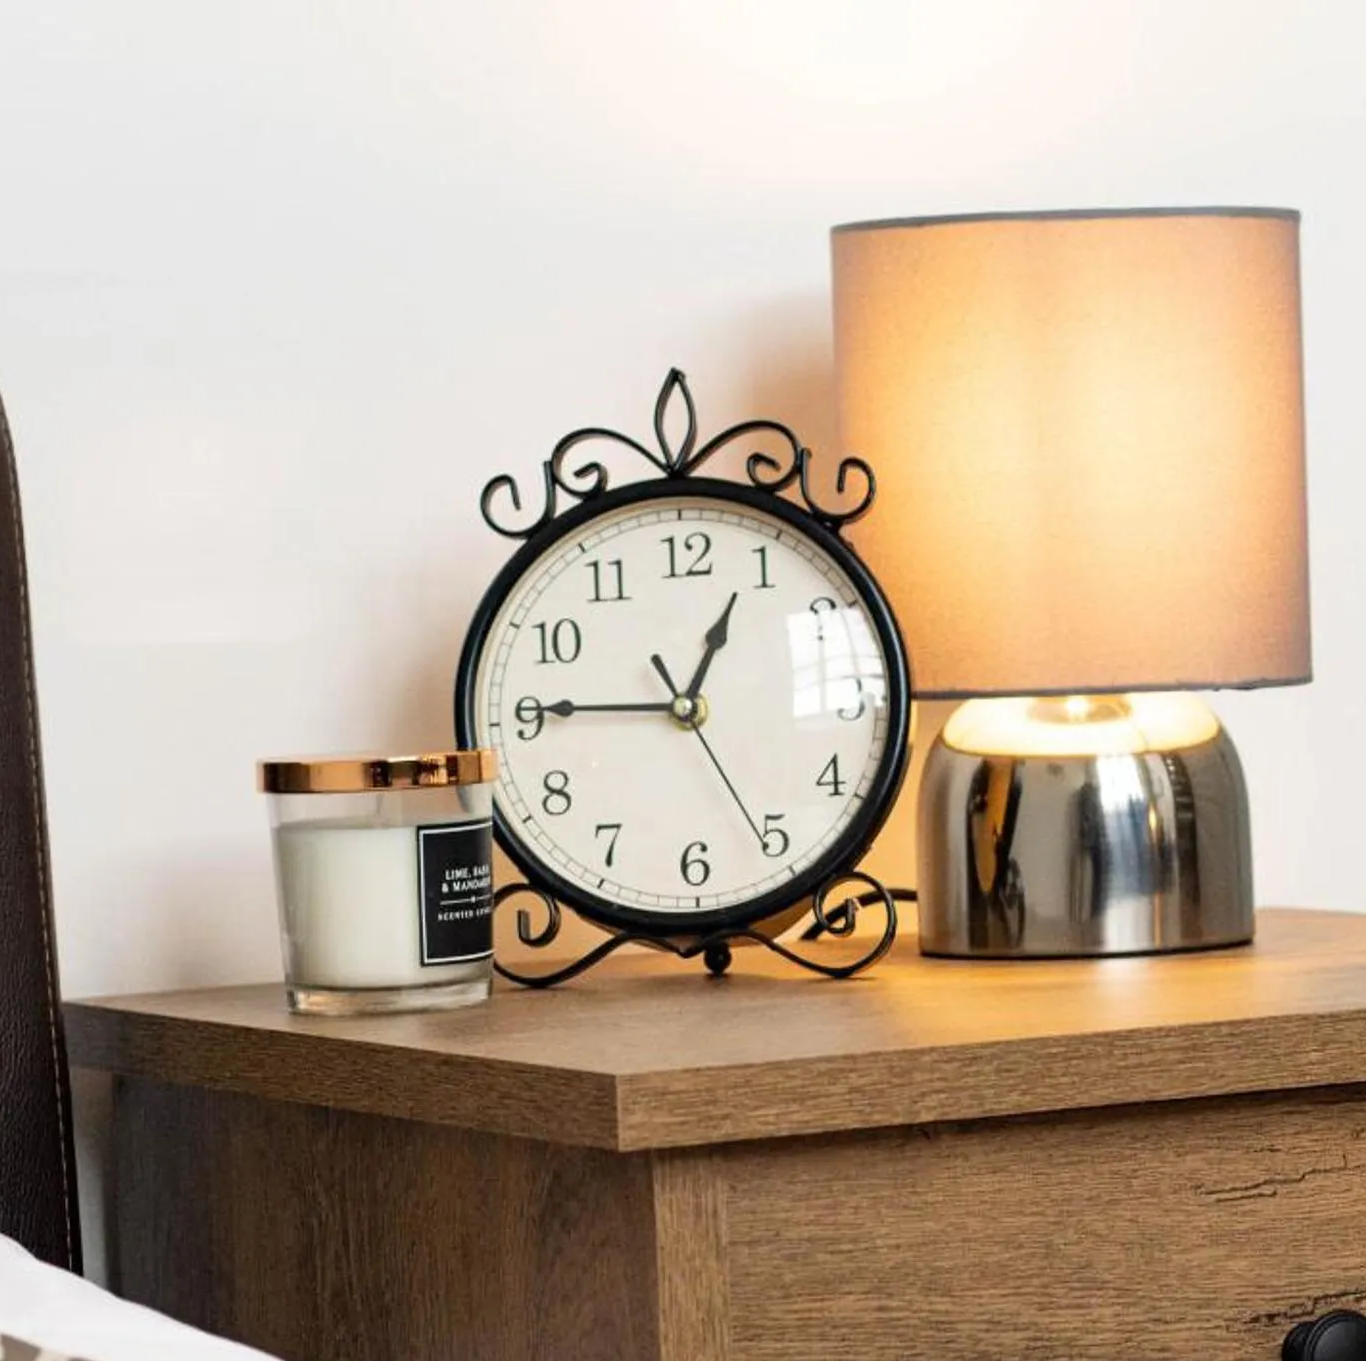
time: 12:45
